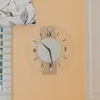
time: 10:28
